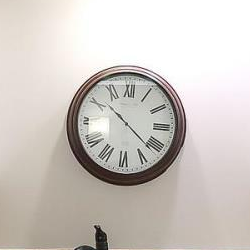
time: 10:21
